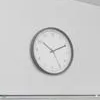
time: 10:11
